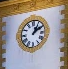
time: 1:09
